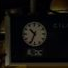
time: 10:34
